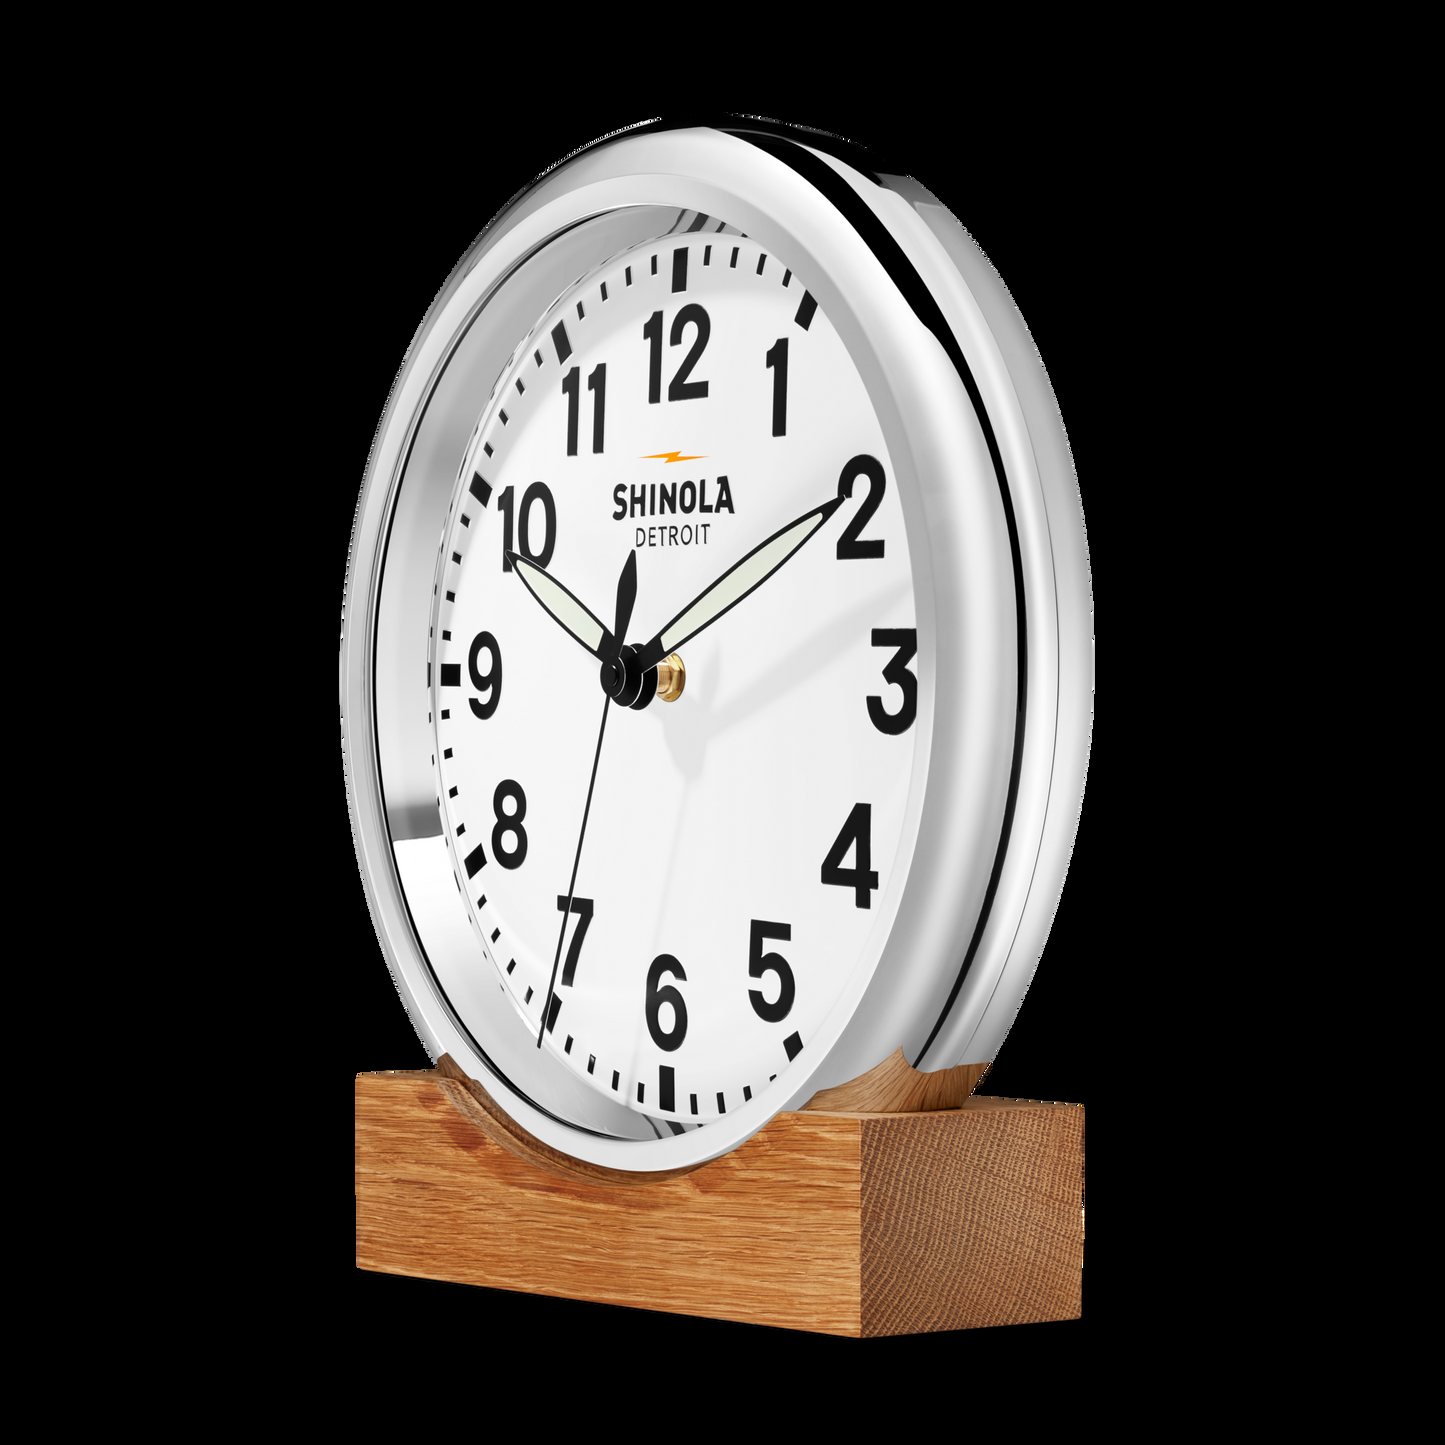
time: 12:09
